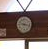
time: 9:17
